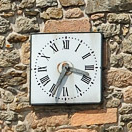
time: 3:34
